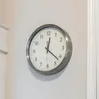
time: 12:21
